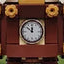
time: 11:51
